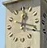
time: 12:18
